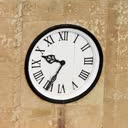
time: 9:35
